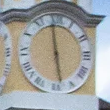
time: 5:59
